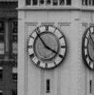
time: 3:53
